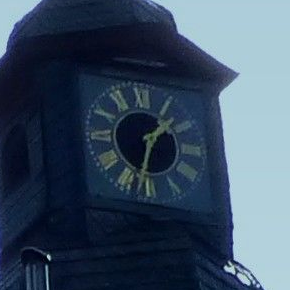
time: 1:32
